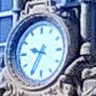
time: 9:35
